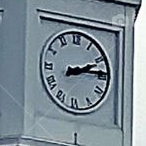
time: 2:14
